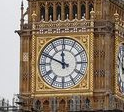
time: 11:48
